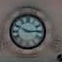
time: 2:48
